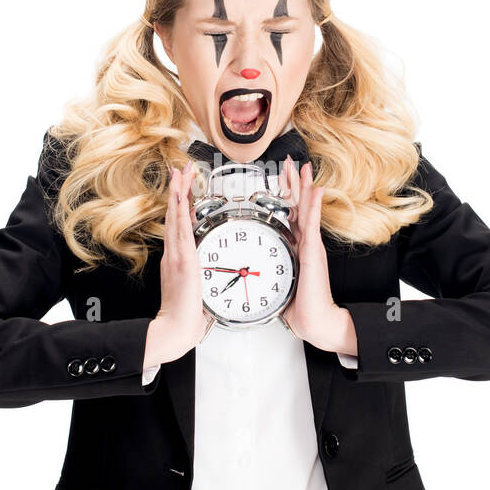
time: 7:46
